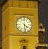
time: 4:29
